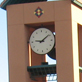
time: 9:08
